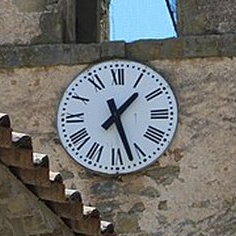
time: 1:26
